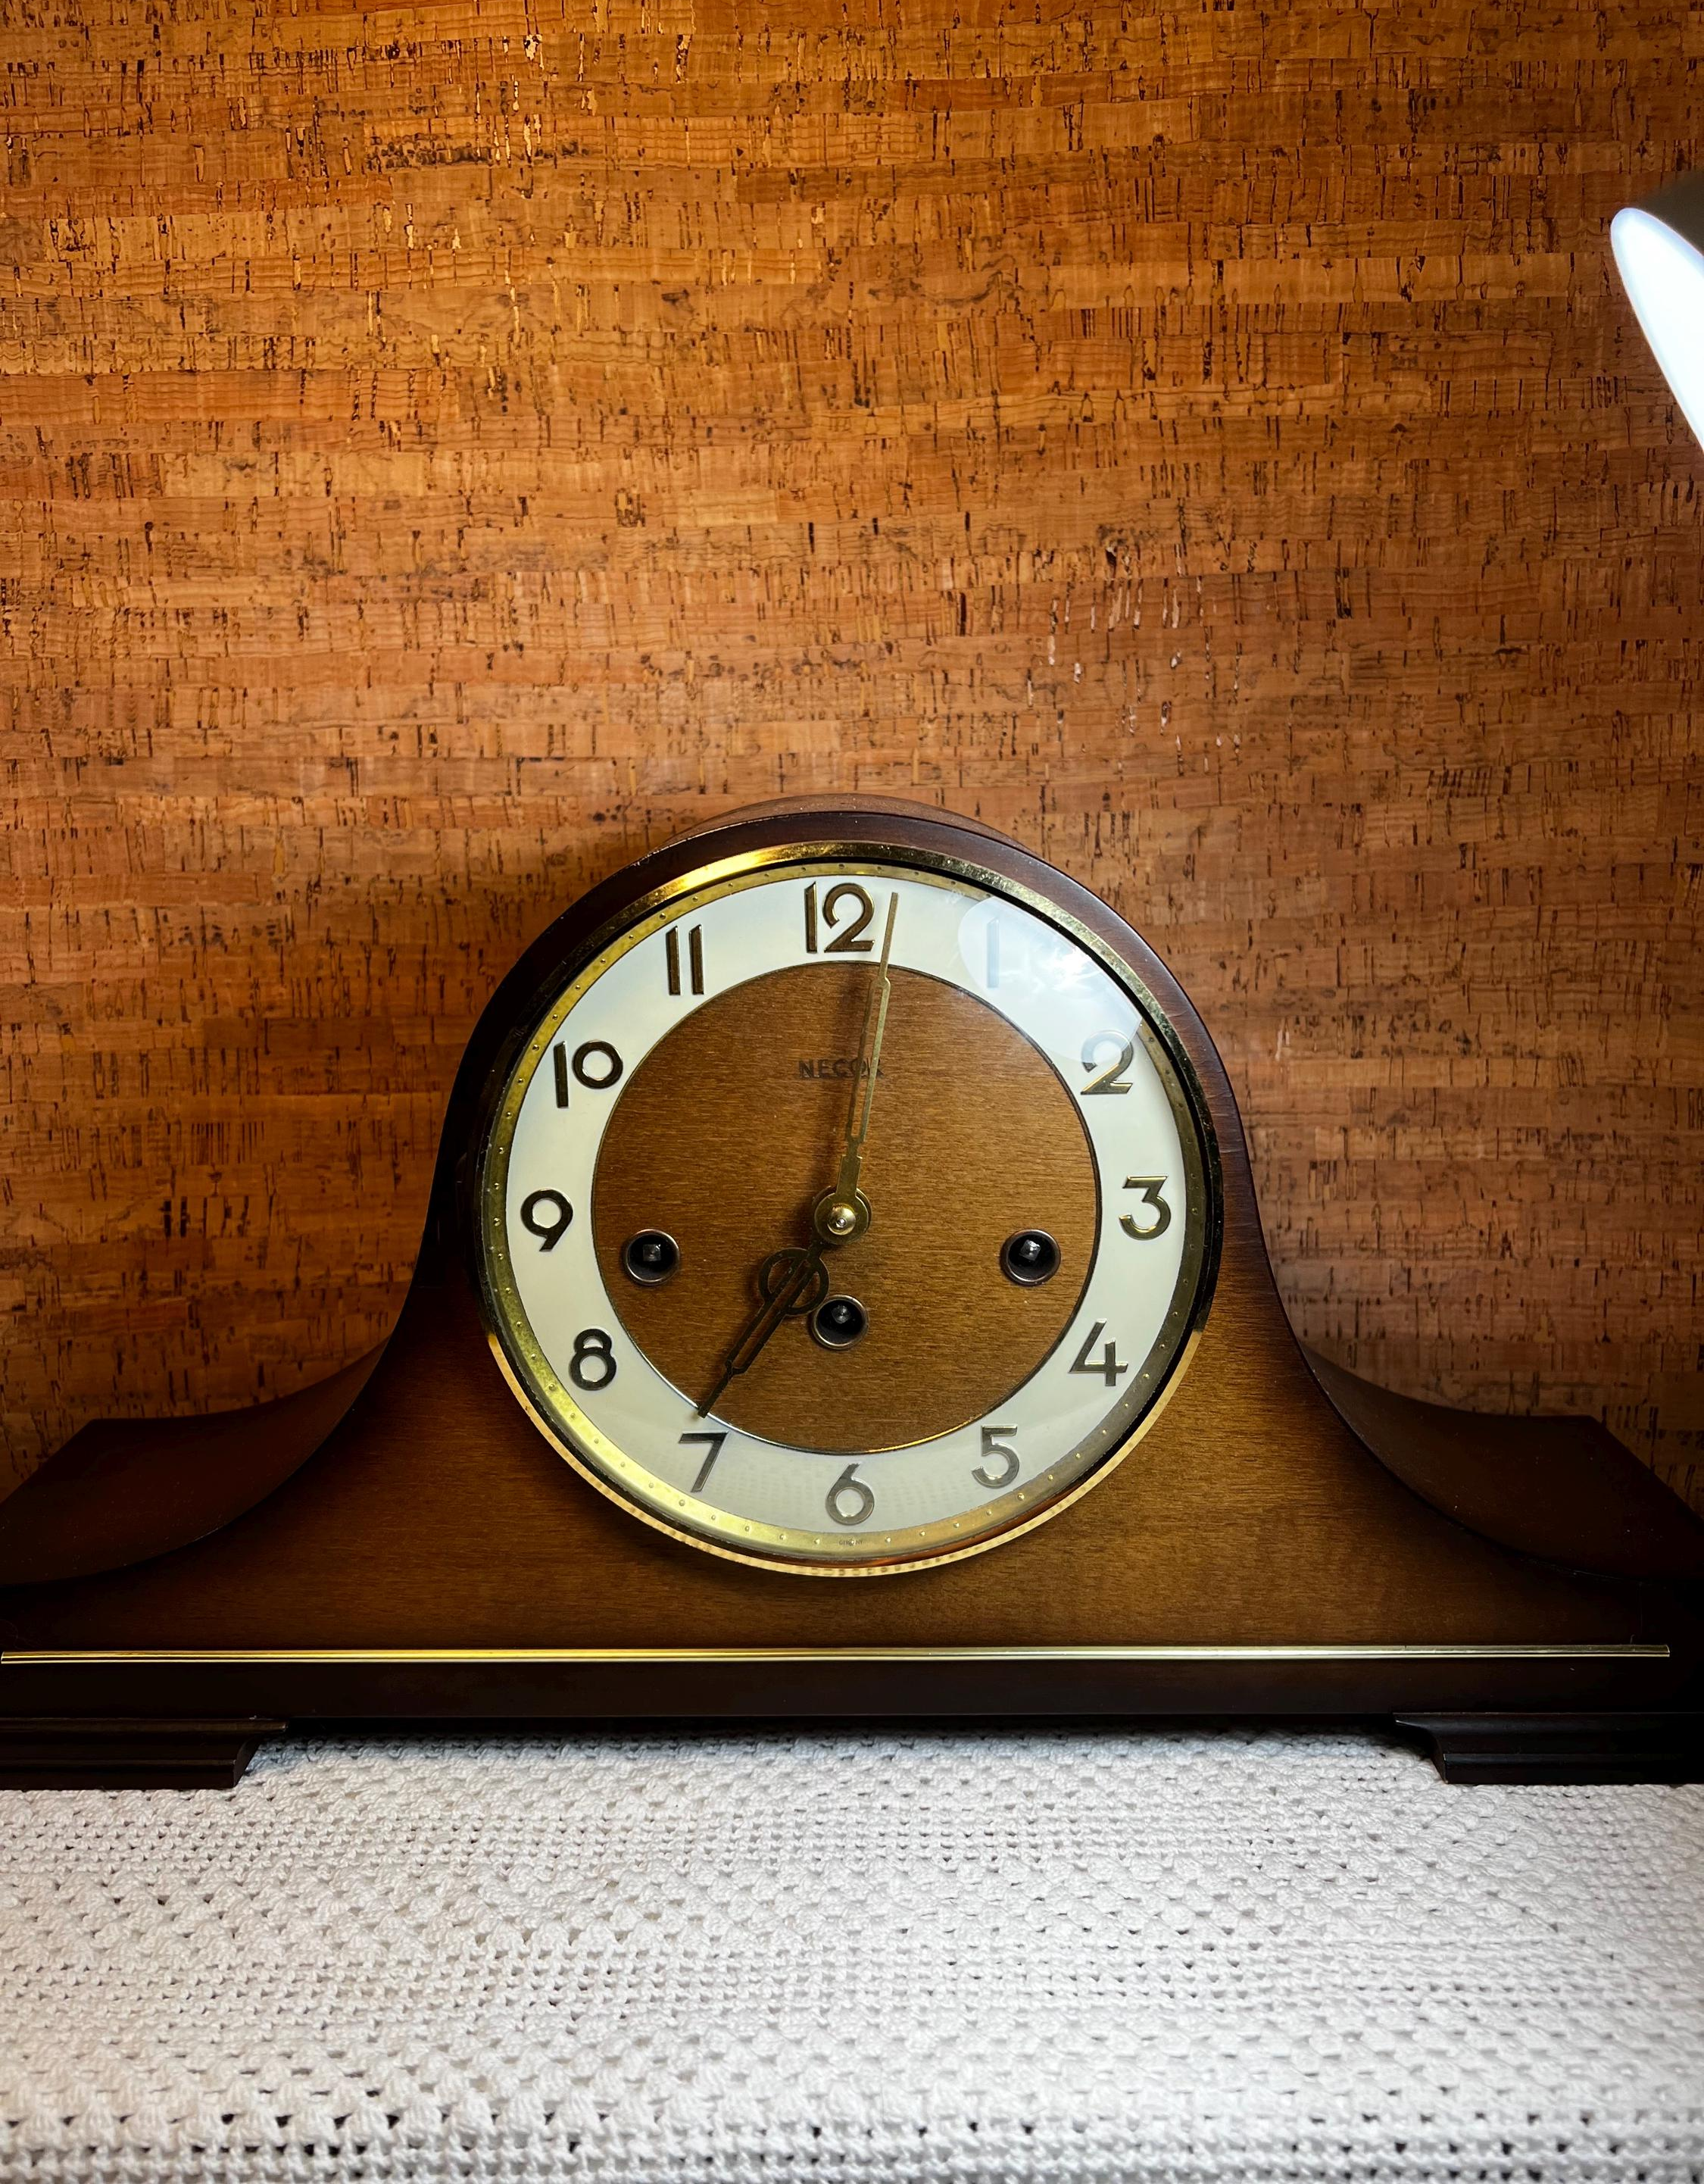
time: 7:01
